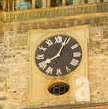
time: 8:03
